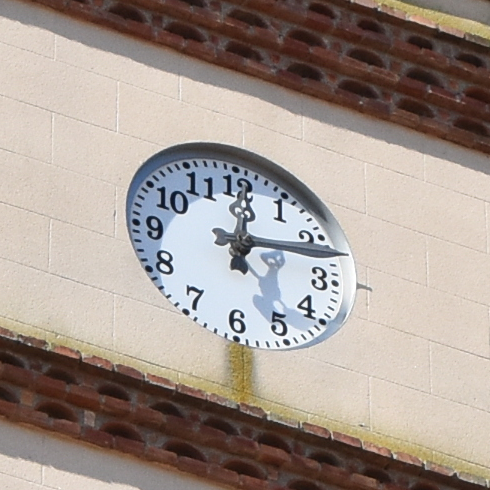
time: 12:12
